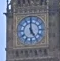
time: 4:59
